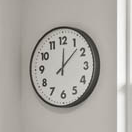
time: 12:07
